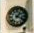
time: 1:18
